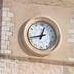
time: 12:42
